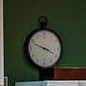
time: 3:48
